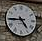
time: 4:44
